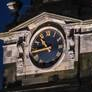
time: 10:43
